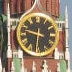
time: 9:30
